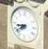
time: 8:39
